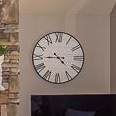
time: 4:44
